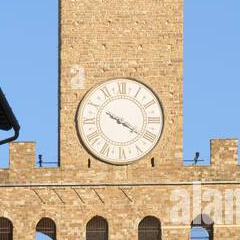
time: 4:20
